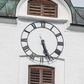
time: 5:26
